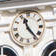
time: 11:23
